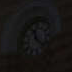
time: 11:21
